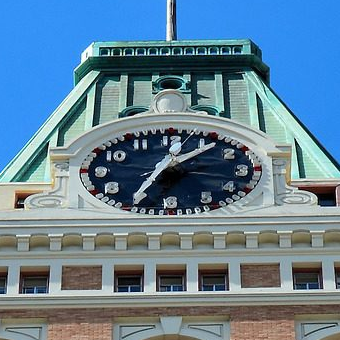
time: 7:07
